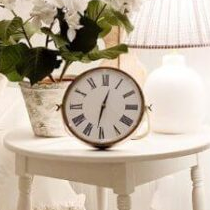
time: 12:31
